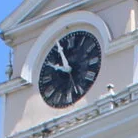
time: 9:55
